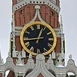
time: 12:43
